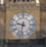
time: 9:32
